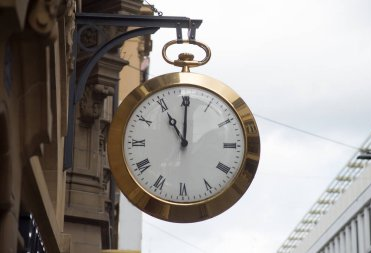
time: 11:00
